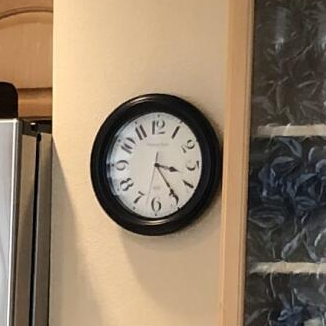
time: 3:24
